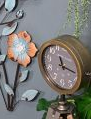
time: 11:17
